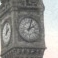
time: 2:02
